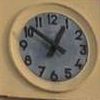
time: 12:51
